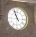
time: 10:56
